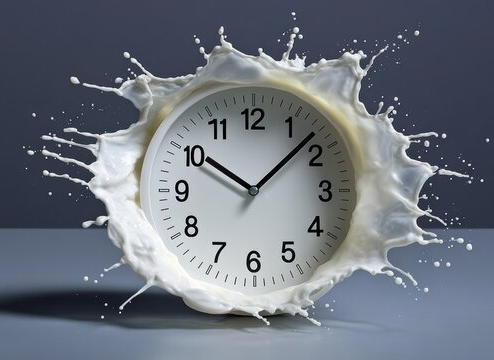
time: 10:07
